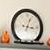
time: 3:03
